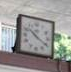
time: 10:20
